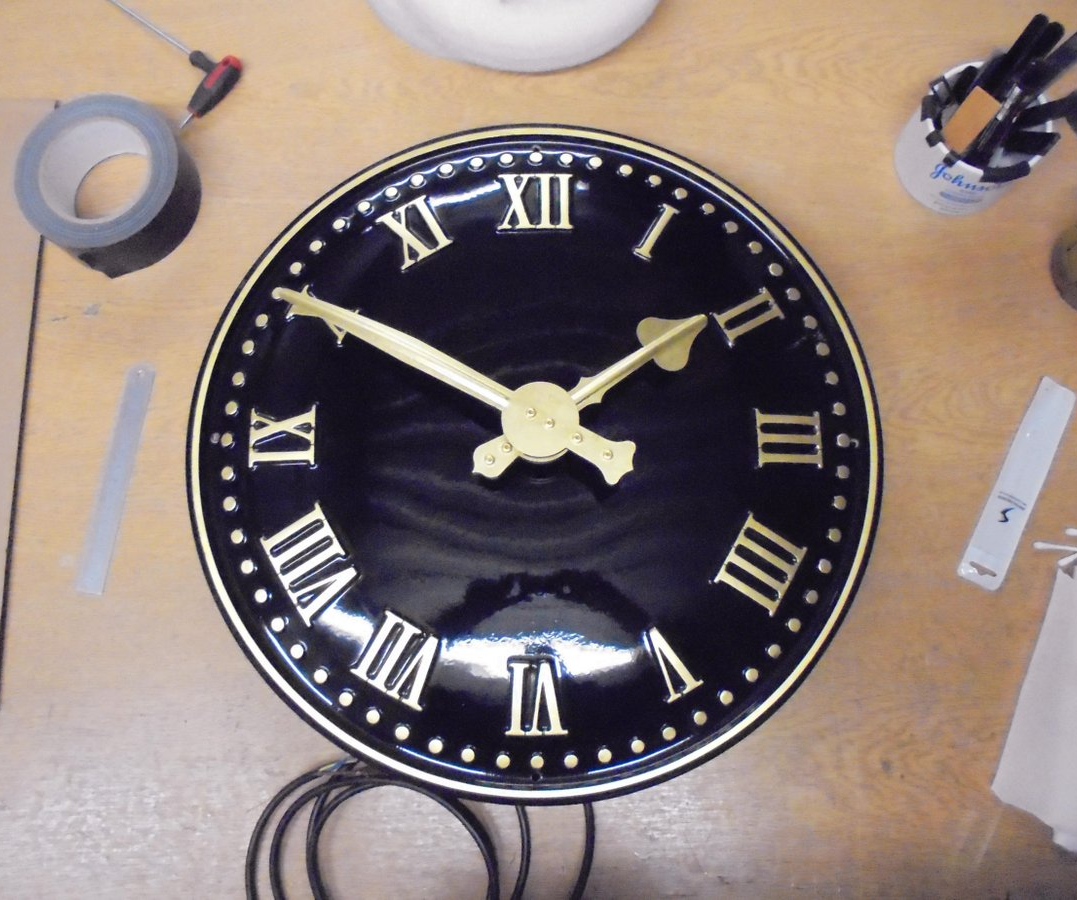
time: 1:50
